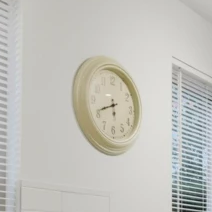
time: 5:41
